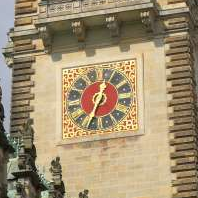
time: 12:34
